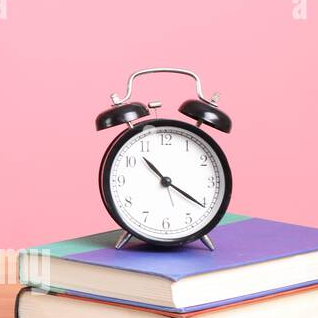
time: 10:20
